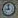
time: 8:58
